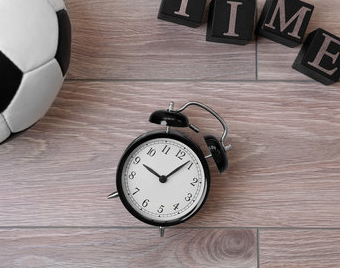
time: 10:08
